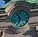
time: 6:54
